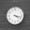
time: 4:17
